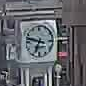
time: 6:47
